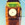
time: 3:37
